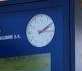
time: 2:09
